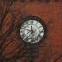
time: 11:48
